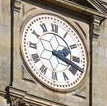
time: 3:18
